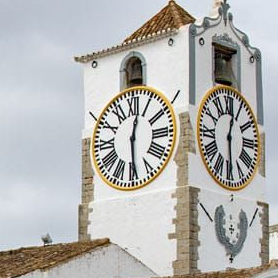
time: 12:29
